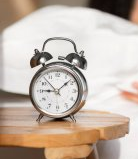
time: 9:08
